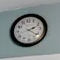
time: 2:21
